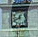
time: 12:41
